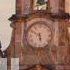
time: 5:50
